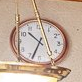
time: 10:33
